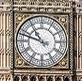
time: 10:47
